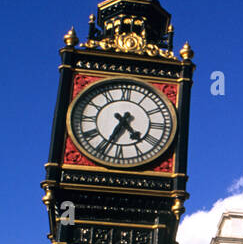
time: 4:34
